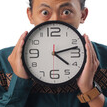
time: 4:12
